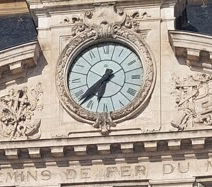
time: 6:37
